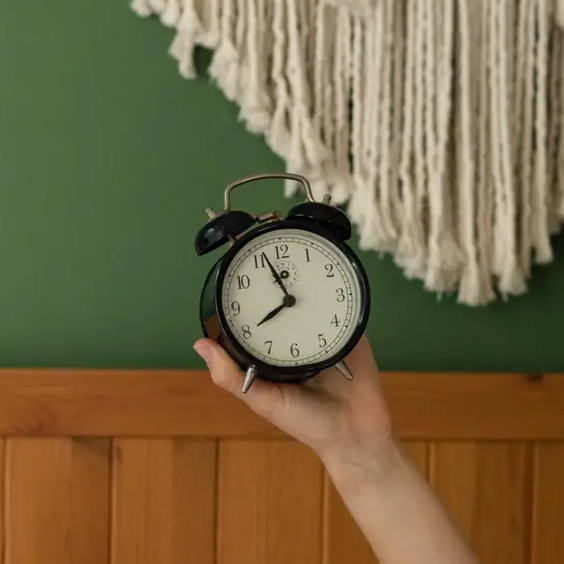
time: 7:56
